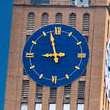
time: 8:57
